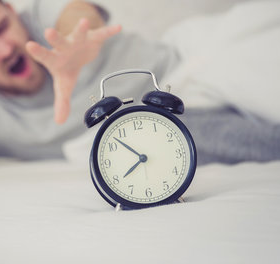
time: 7:52
